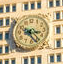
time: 3:22
